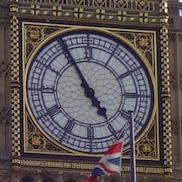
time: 4:54
